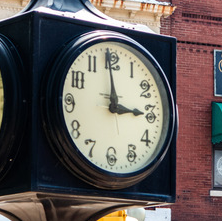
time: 2:58
